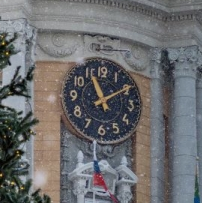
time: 11:09
